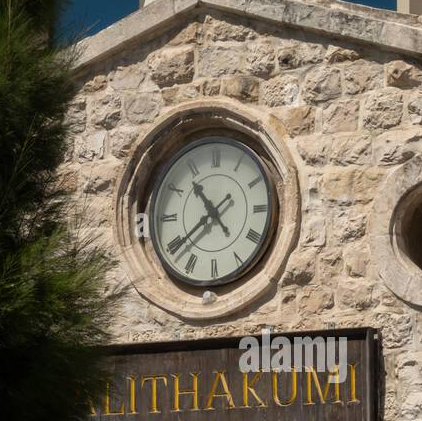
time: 10:38
